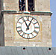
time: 11:04
